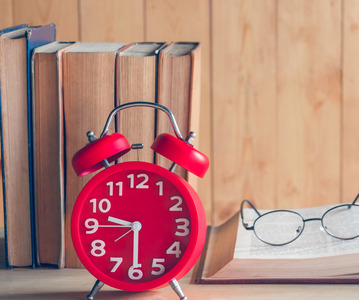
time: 9:30
